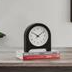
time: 10:08
